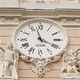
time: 3:57
